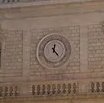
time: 12:23
